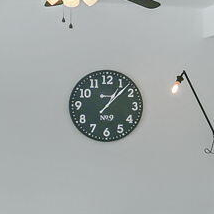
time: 1:07
